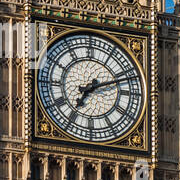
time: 7:11
